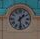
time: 1:29
